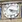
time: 4:17
